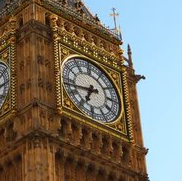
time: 6:43
